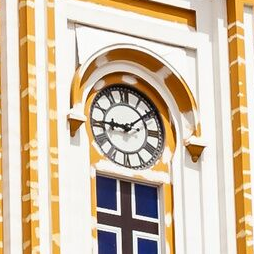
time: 9:09
